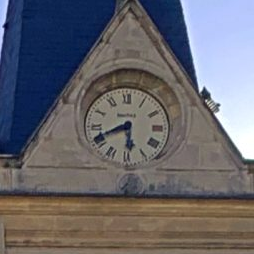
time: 5:40
